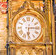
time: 6:14
